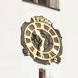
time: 10:34
